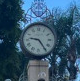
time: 9:24
